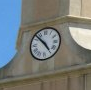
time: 4:52
